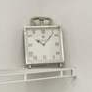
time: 10:07
